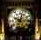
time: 10:02
